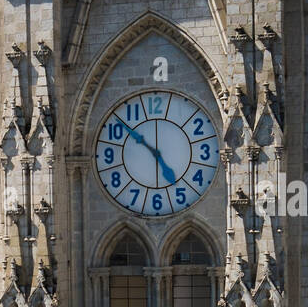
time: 4:52
